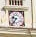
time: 9:36
